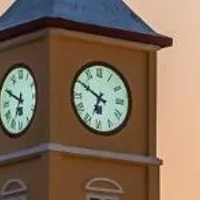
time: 6:49
